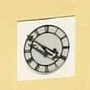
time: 3:50
